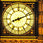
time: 8:11
